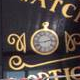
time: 2:42
